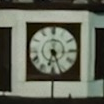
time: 6:26
